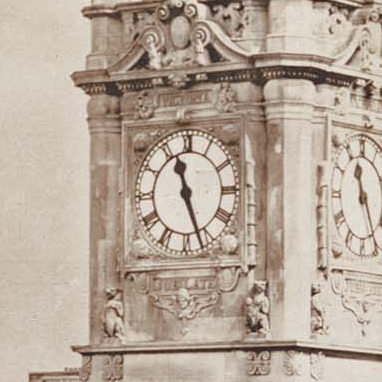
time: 11:26
